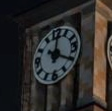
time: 12:19
